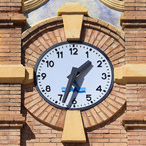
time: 1:33
